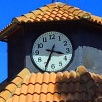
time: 3:34
